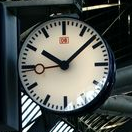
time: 10:08
